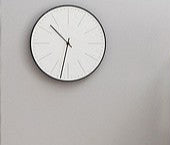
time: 10:31
